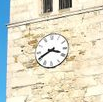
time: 3:40
